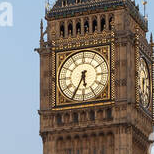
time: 5:34
